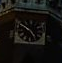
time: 4:50
